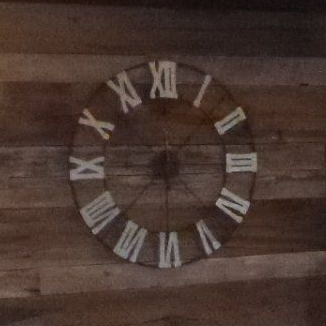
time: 7:30
